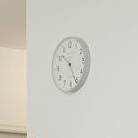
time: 10:25
